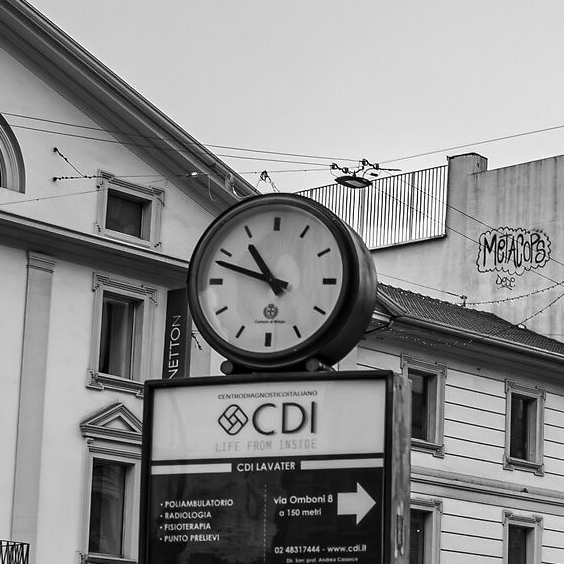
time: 10:48
